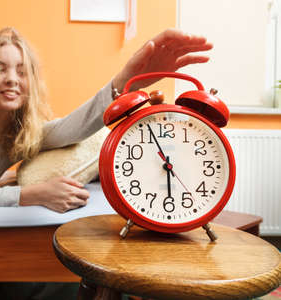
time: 5:56
